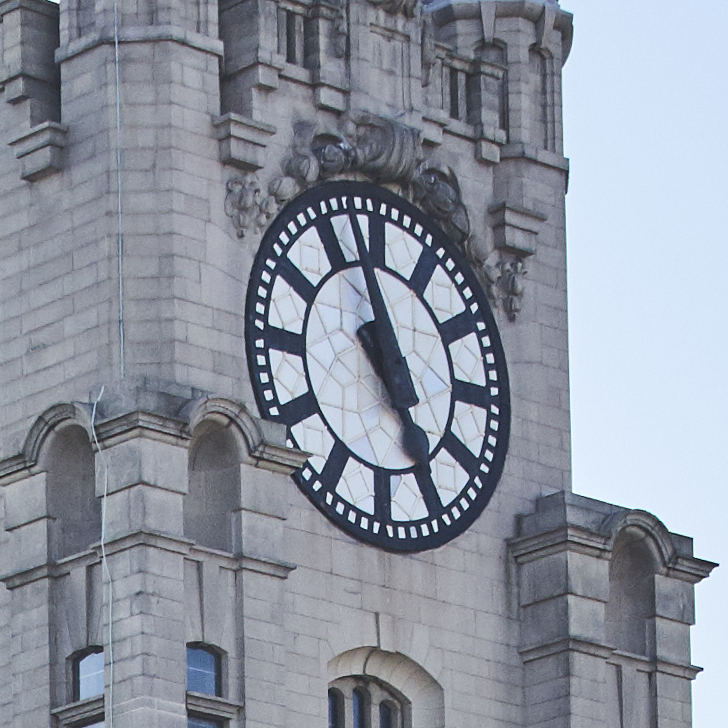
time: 4:57
